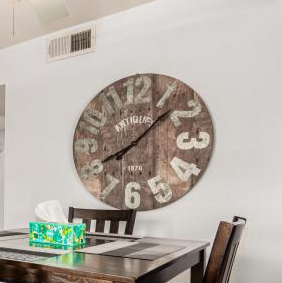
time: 8:07
